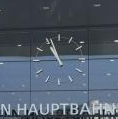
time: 10:56
